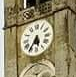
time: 5:35
